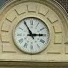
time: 2:55
